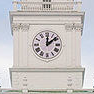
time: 12:08
